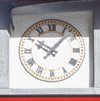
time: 10:07
